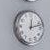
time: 12:12
